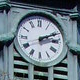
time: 2:11
